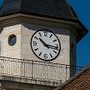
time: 10:15
